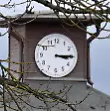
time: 3:14
